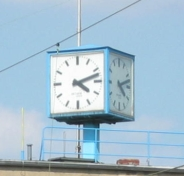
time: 4:12
